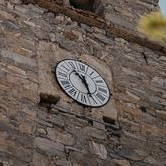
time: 10:26
